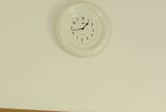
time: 1:42
